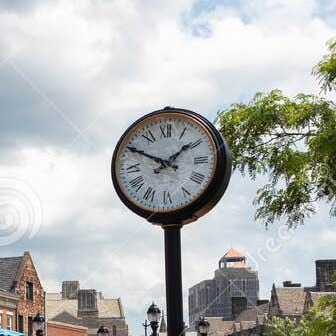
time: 1:49
